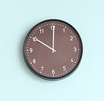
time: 10:00
